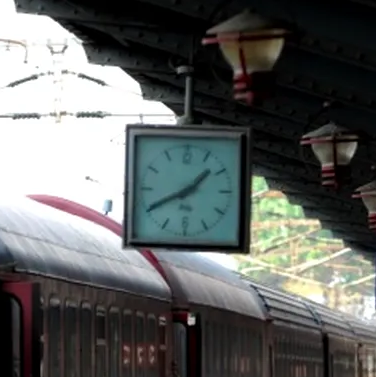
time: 1:40
